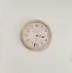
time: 3:32
